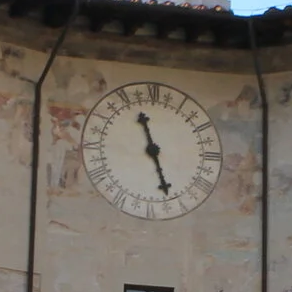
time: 11:26
